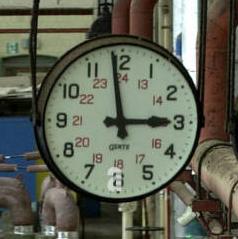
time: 2:58
